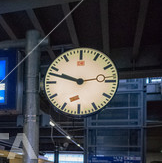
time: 9:47
